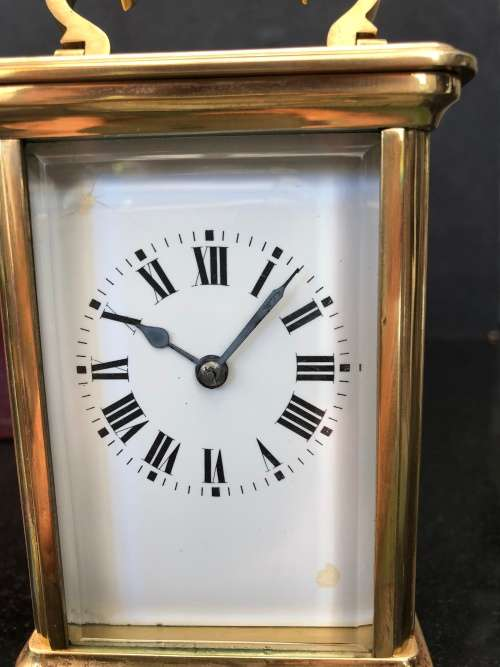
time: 10:07
